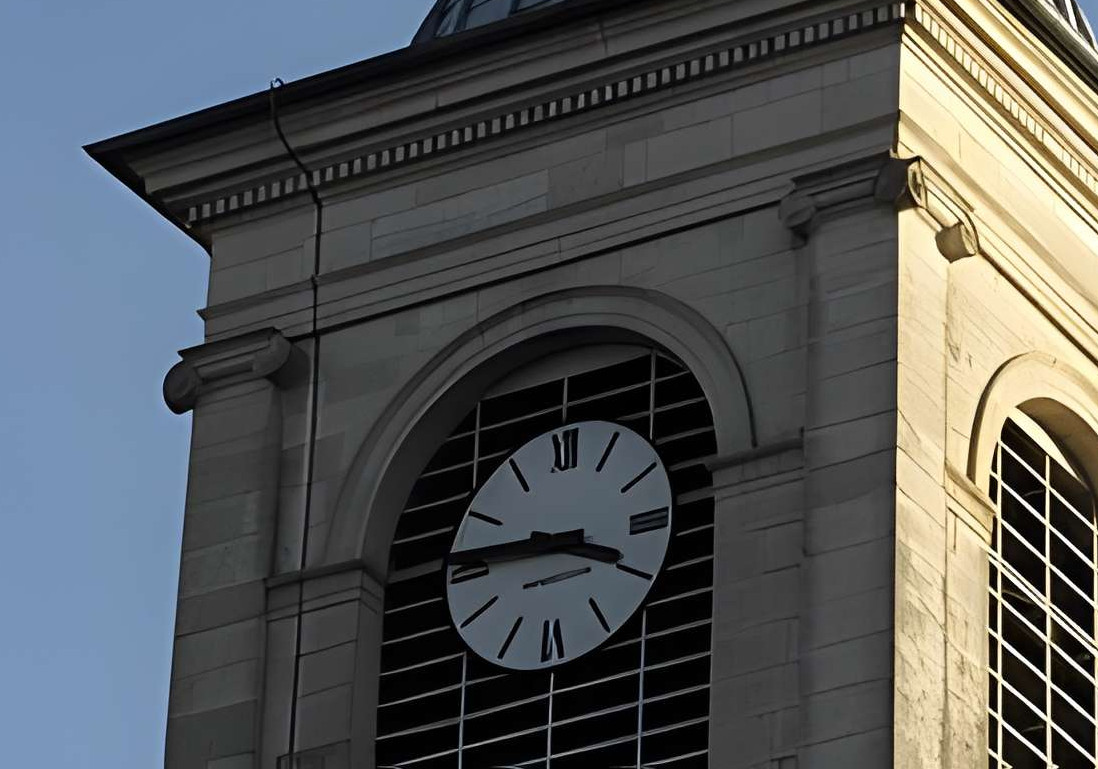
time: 3:45
